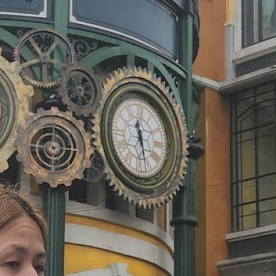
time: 12:28
